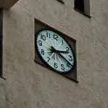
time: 2:18
